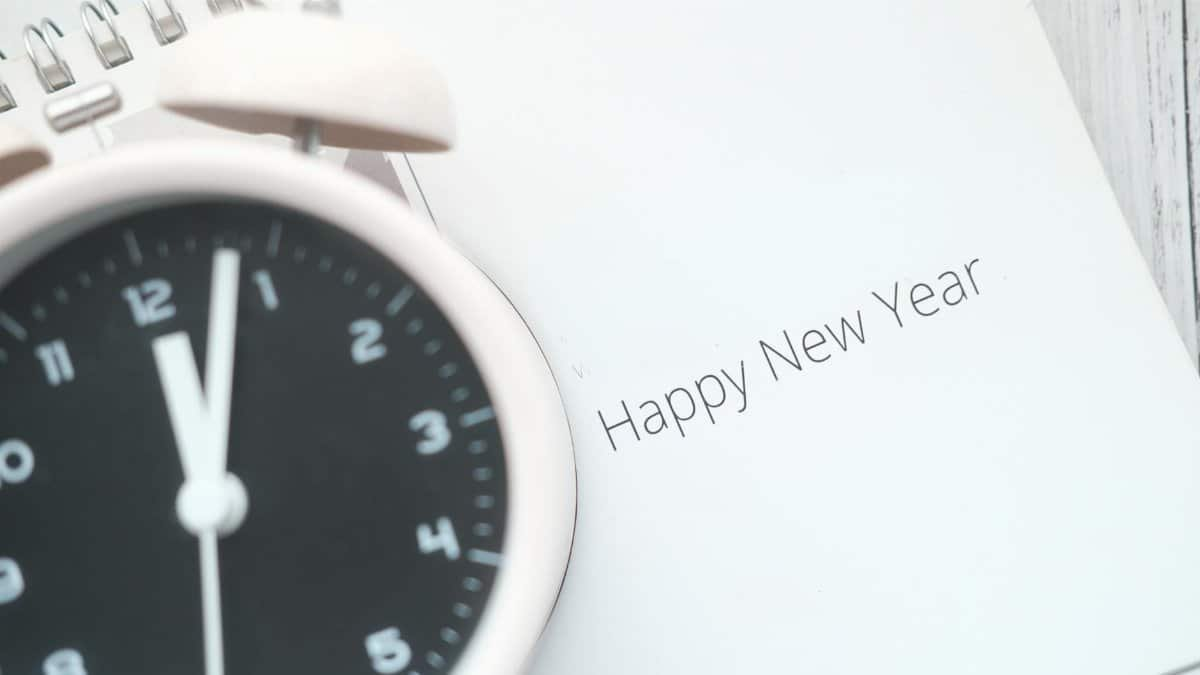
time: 12:03
